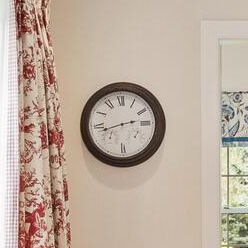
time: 2:42
